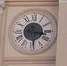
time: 3:29
